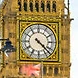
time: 4:22
